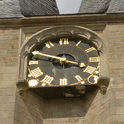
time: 3:48
